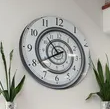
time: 10:39
